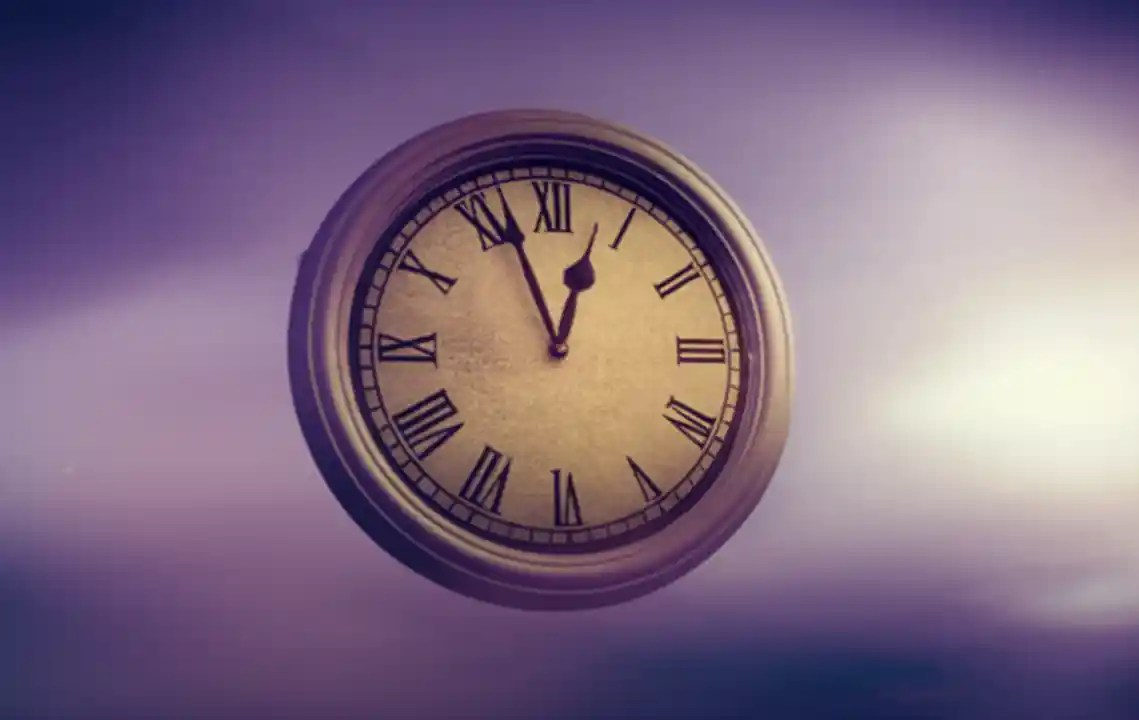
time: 12:56
